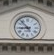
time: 8:53
